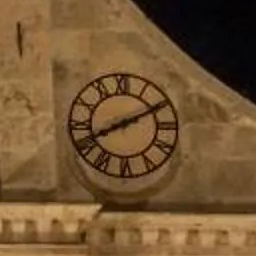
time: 8:10
